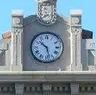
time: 10:27
